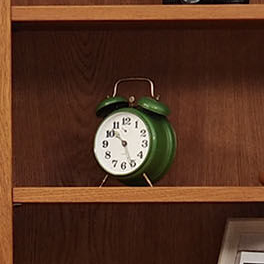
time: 10:26
